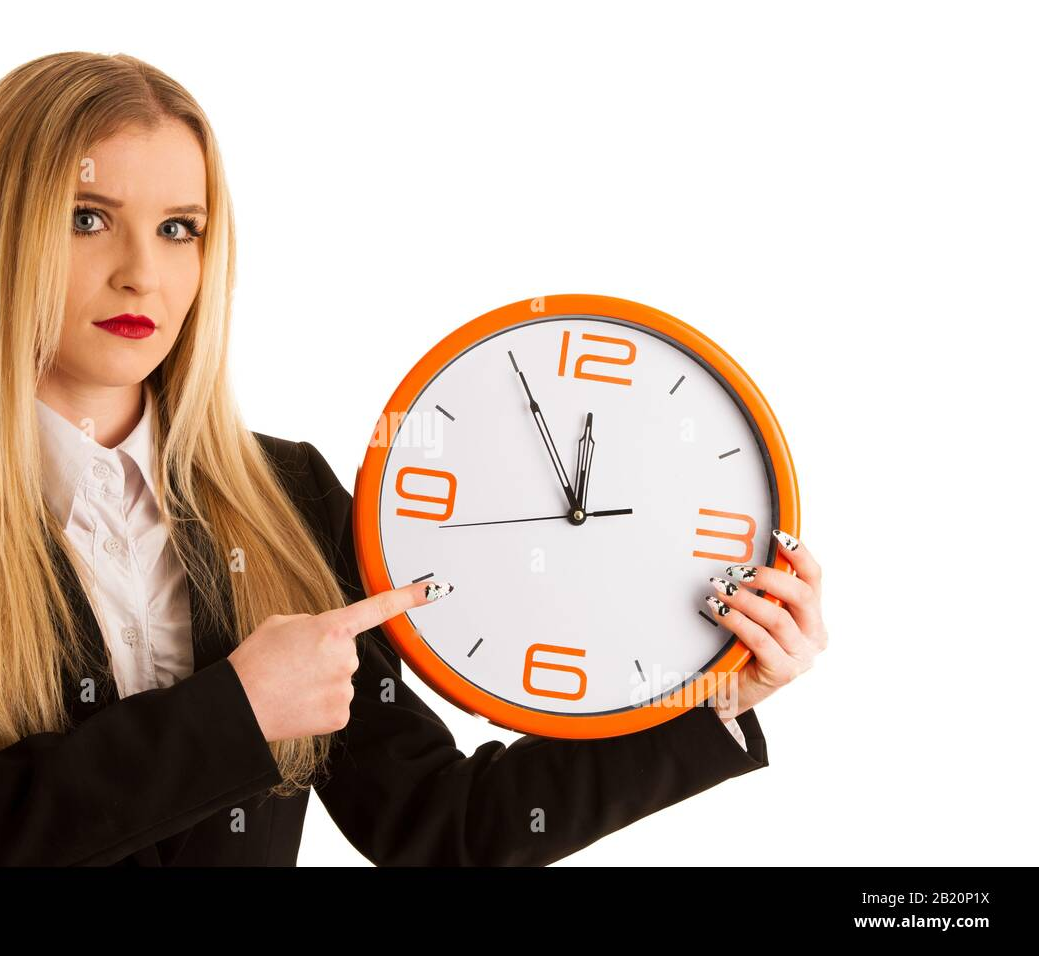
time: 11:55
